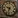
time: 9:33
